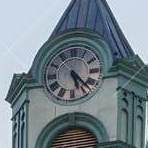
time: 5:22
